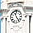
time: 11:24
